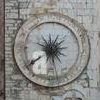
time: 1:39
